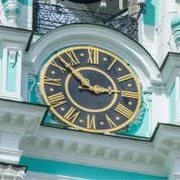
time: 2:52
